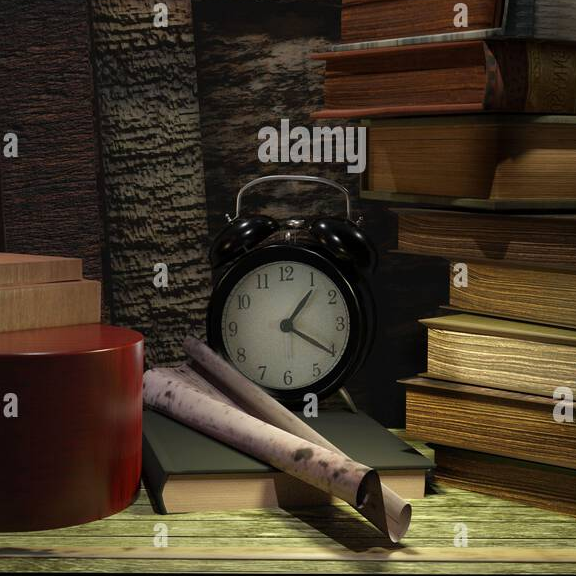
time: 1:20
